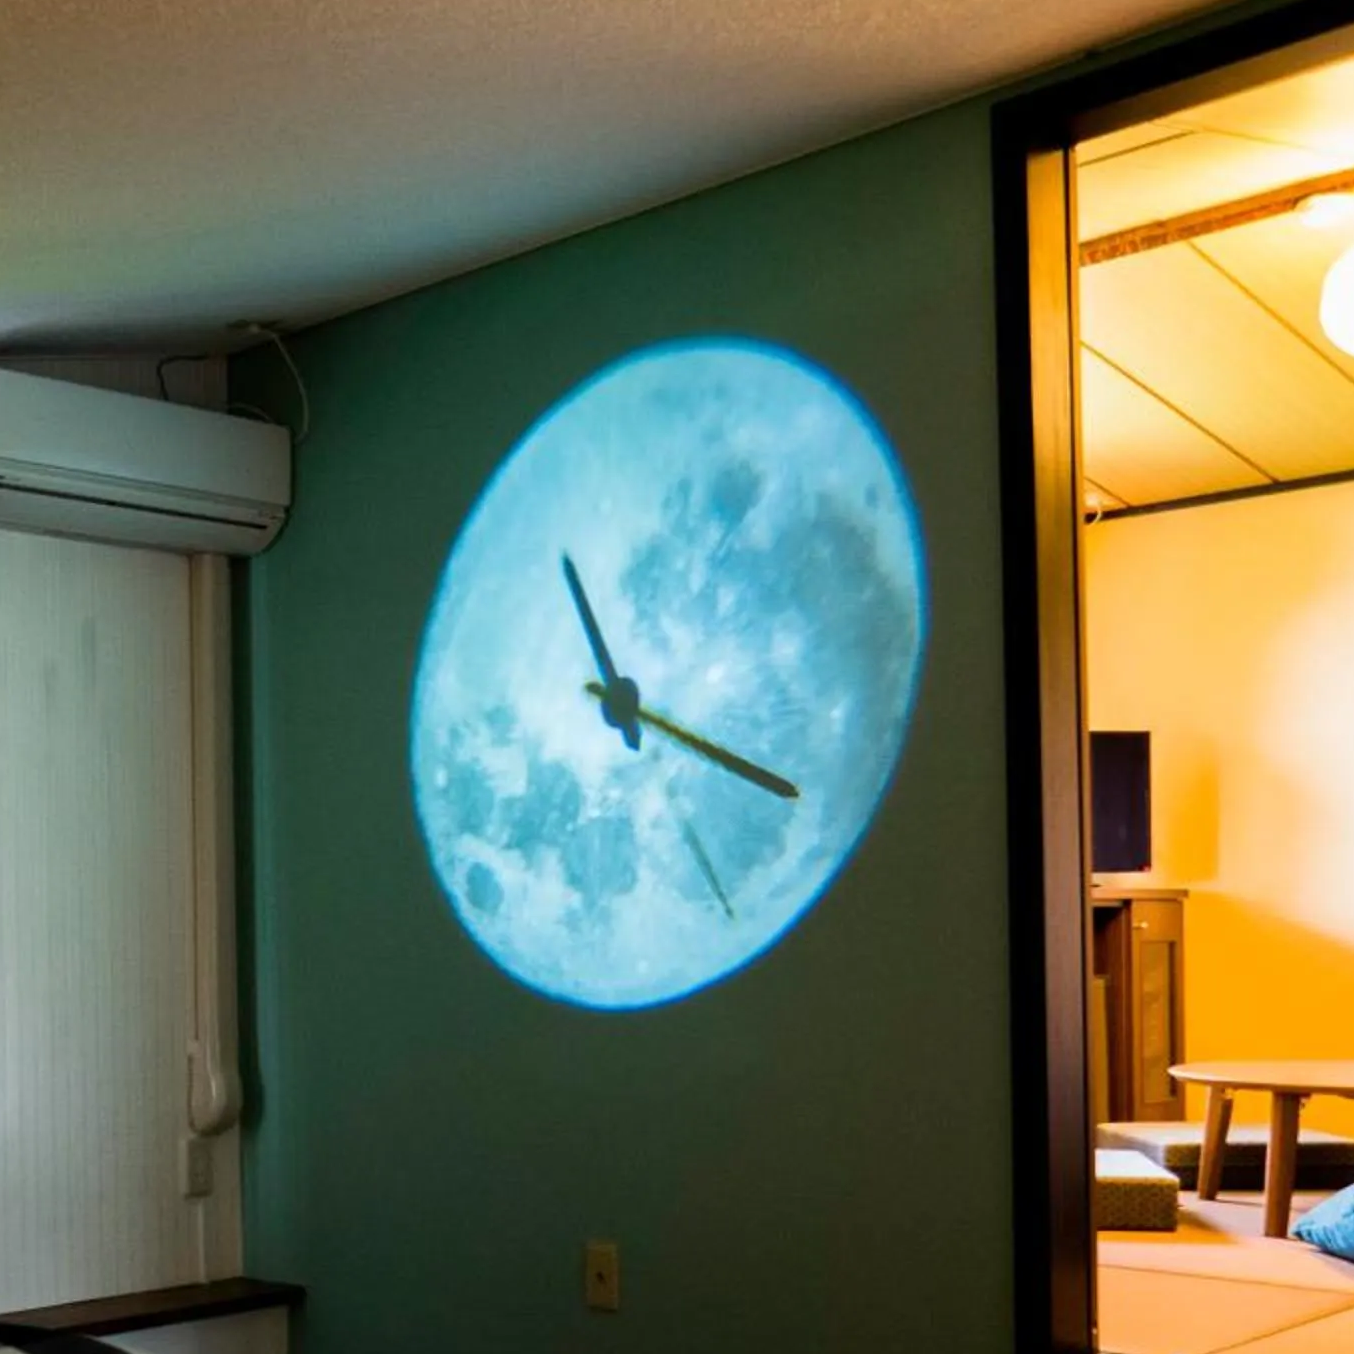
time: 11:18
